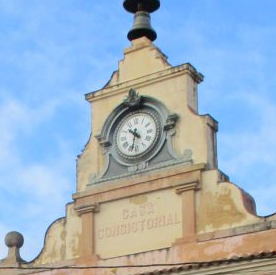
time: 10:32
